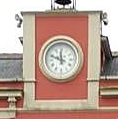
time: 11:48
